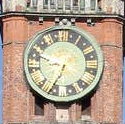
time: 9:35
